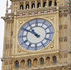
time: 10:50
